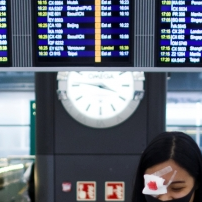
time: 3:47
